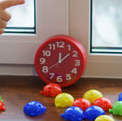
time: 12:07
